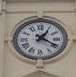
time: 1:19
